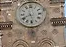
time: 5:40
